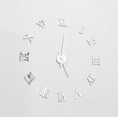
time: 5:01
